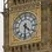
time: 4:31
